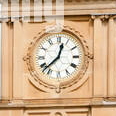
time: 12:37
